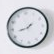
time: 1:42
